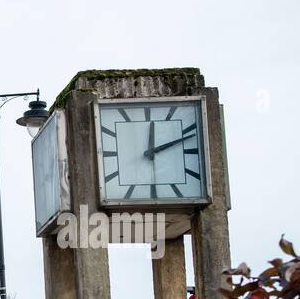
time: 12:11
